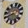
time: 3:40
